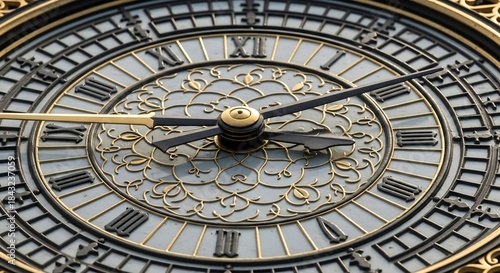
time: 3:09
